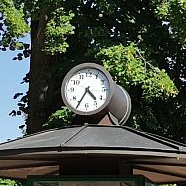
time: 4:35
